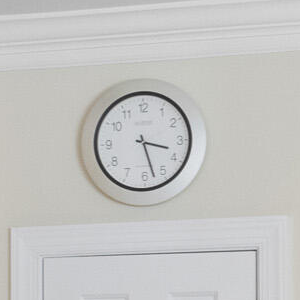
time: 3:27
